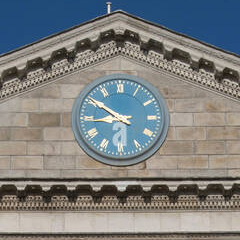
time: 8:50
